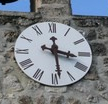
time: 3:28
